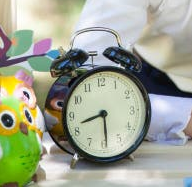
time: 8:29
